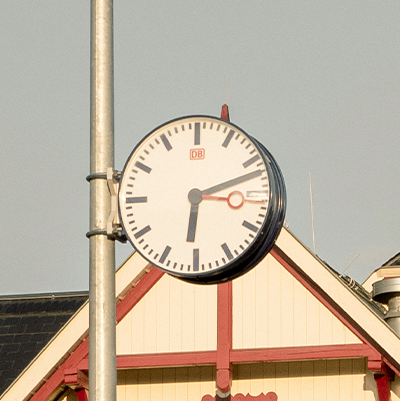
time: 6:11
